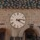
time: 4:13
